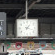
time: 1:18
